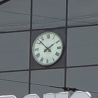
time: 1:52
